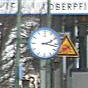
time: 2:16
